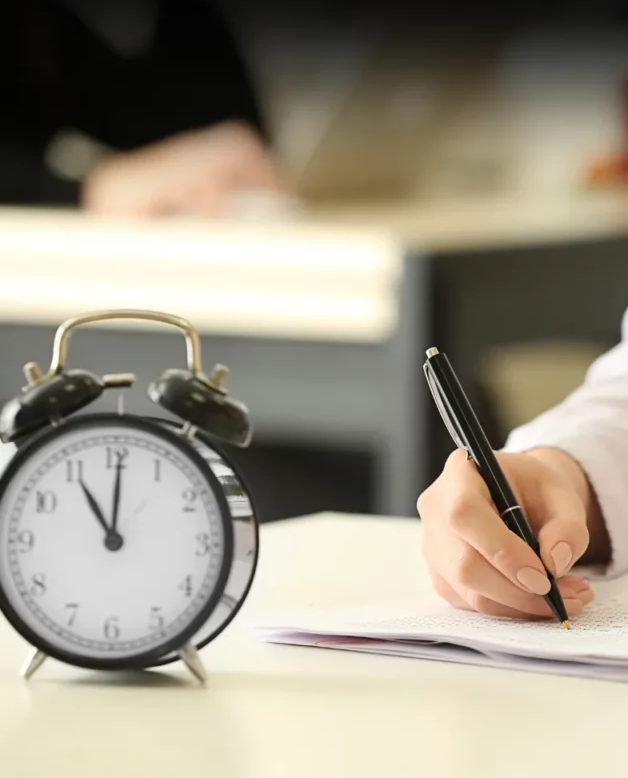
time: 11:00
